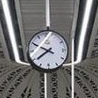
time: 7:49
